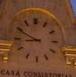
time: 8:49
